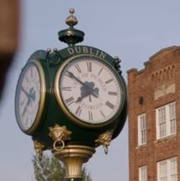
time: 7:50
